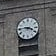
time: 3:45
